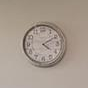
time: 4:09
